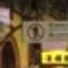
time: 11:32
